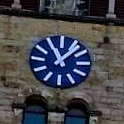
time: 11:07
